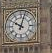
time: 10:02
